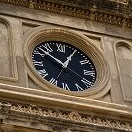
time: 12:52
